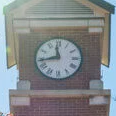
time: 11:43
